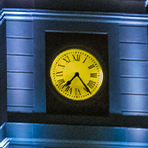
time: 7:24
